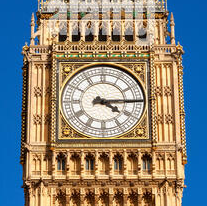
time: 4:14
